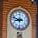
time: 8:47
